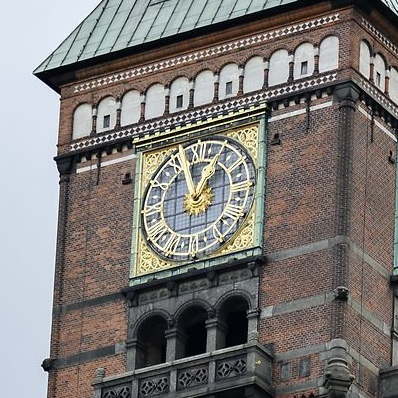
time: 12:57
